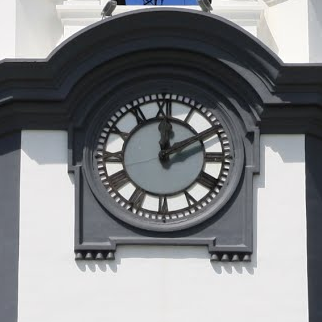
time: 12:10
